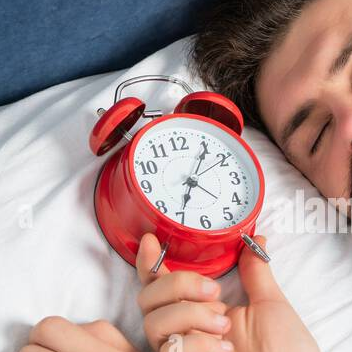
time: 7:06
